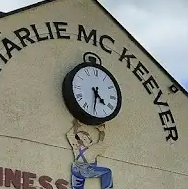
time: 4:30
